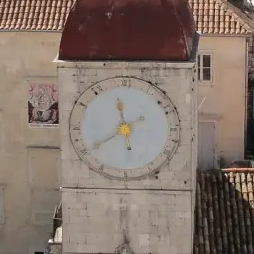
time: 11:39
